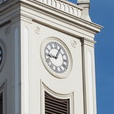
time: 9:04
